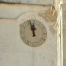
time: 11:57
